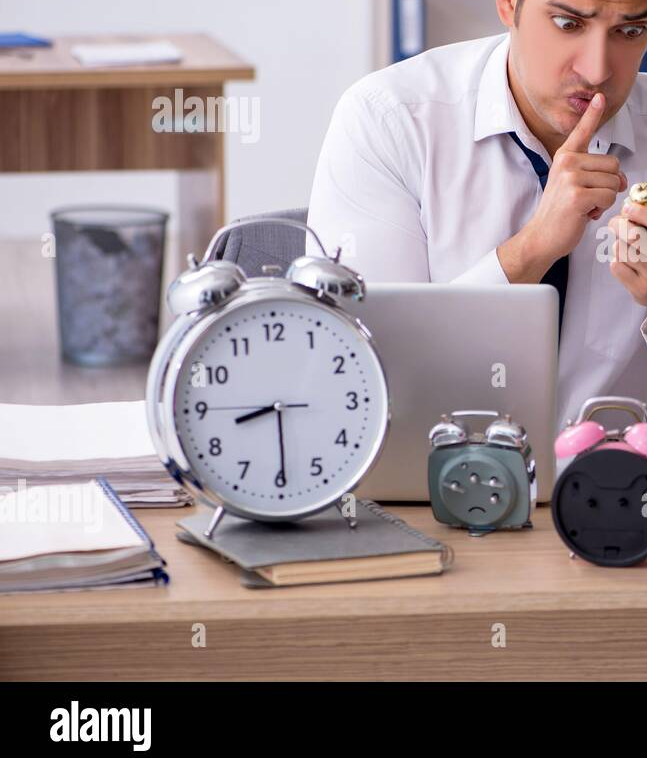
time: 8:29
